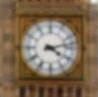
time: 4:12
